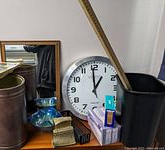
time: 12:59
